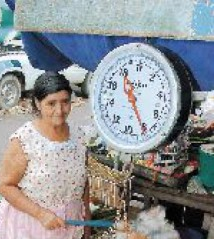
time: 11:25
